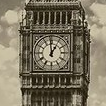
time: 12:59
